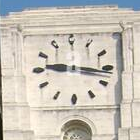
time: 9:16
